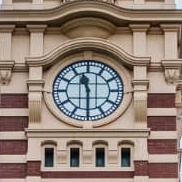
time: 11:29
